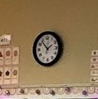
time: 1:53
